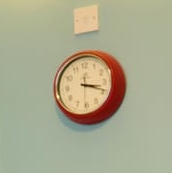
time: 3:18
